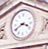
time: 3:40
